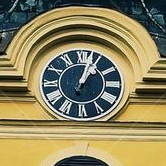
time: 1:03
